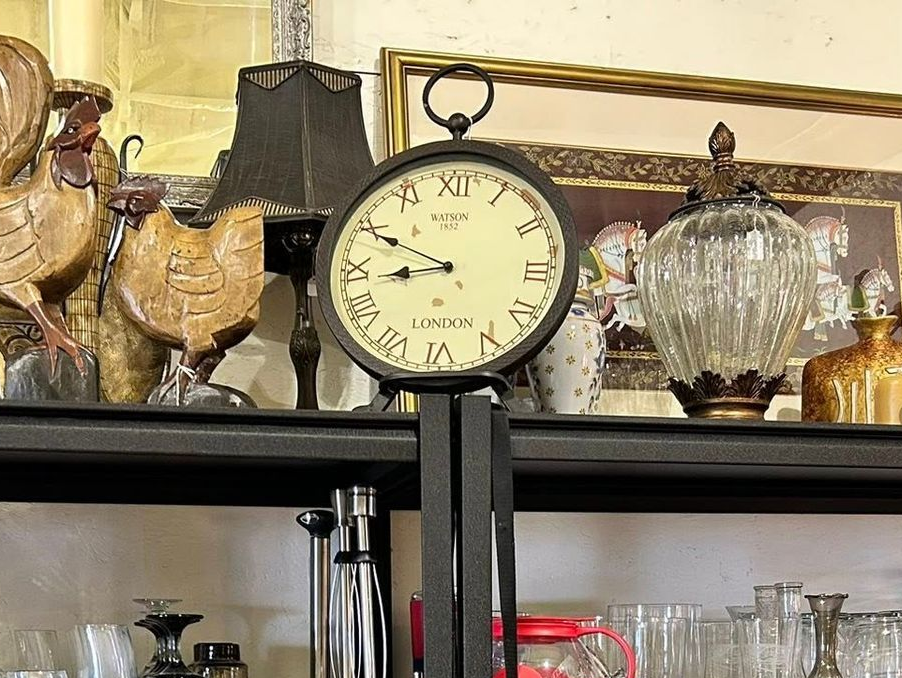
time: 8:49
